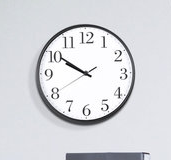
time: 9:50
